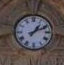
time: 1:10
